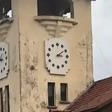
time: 3:09
